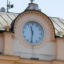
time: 11:31
